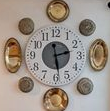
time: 2:28
